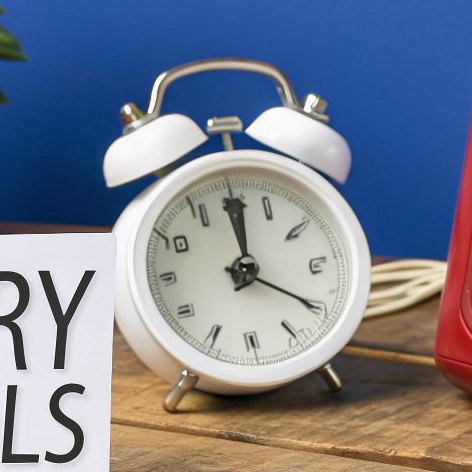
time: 12:20
